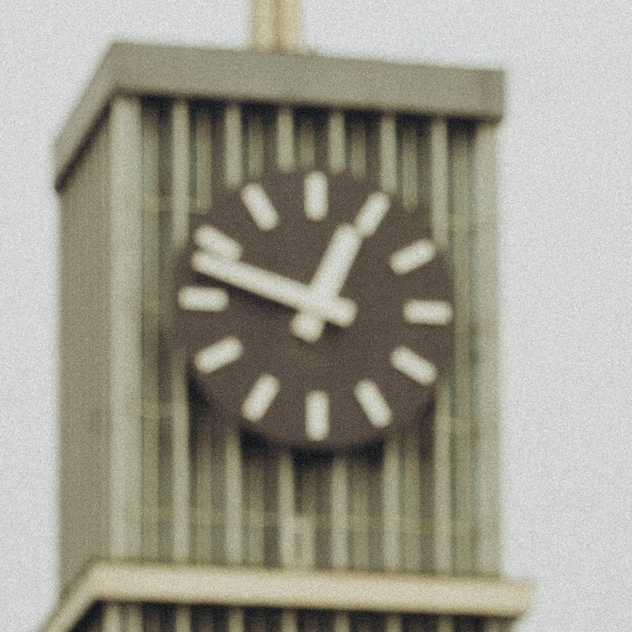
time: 12:47
